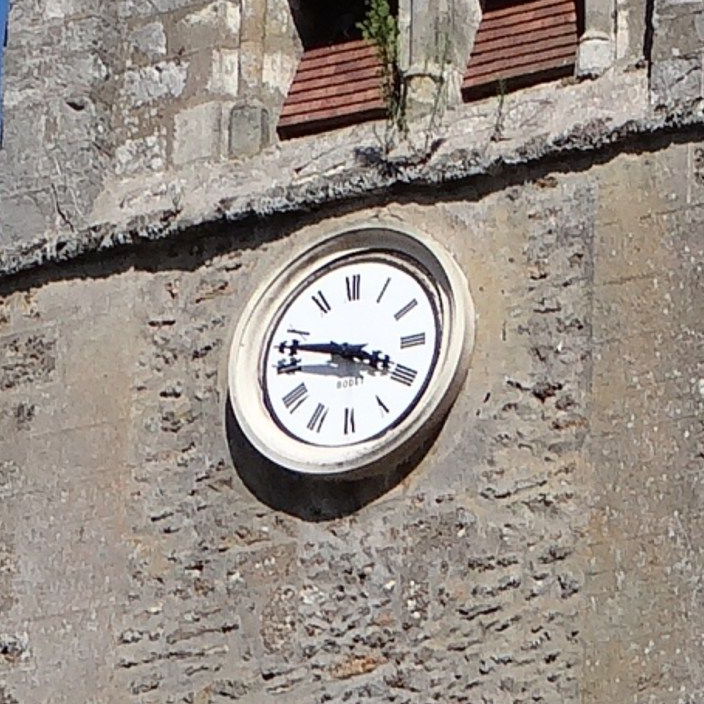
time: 3:47
